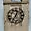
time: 12:36
